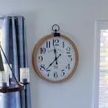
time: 11:37
